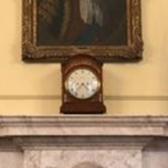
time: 4:36
